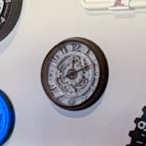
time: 12:11
